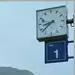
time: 8:38
